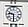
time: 9:30
